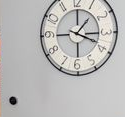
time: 1:18
